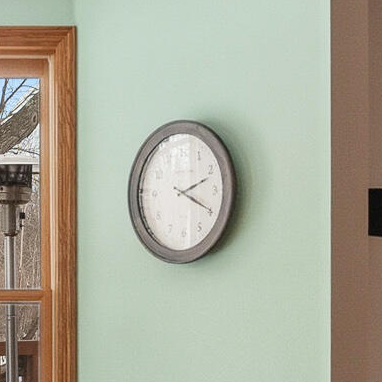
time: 2:19
